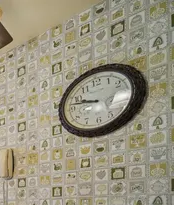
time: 9:47
